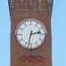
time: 2:32
